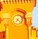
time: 7:22
